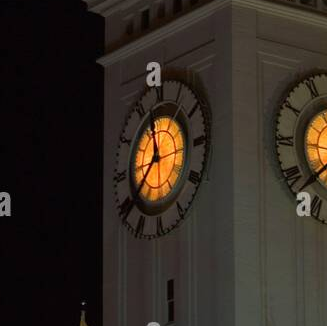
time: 11:38
